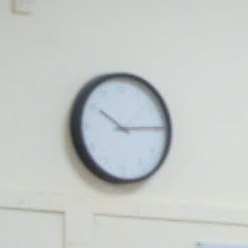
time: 10:14
